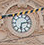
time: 6:13
